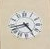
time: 4:42
